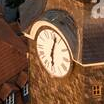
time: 6:02
